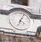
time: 4:04
